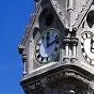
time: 12:11
